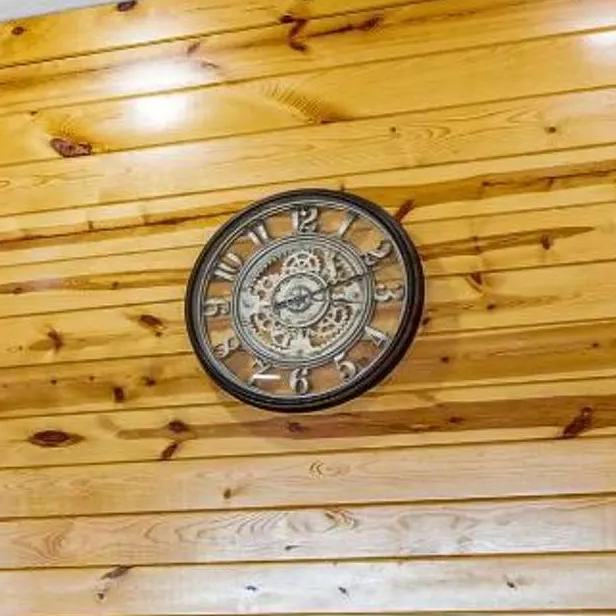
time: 9:11
